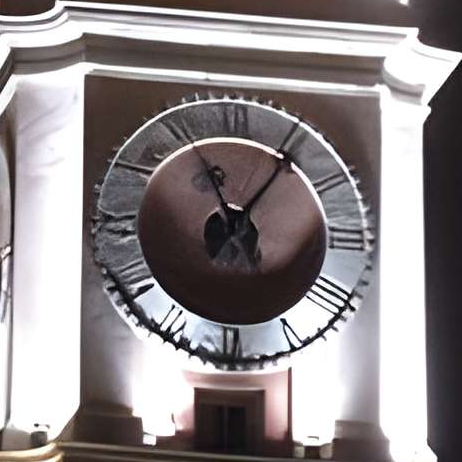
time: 11:06
